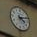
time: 4:12
